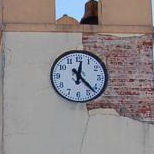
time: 12:22
